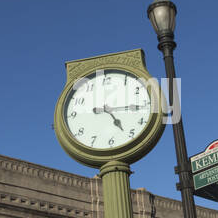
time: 5:15
